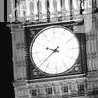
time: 9:38
